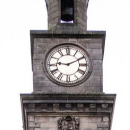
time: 9:10
